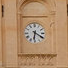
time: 6:20
